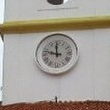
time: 11:47
